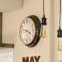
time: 3:47
